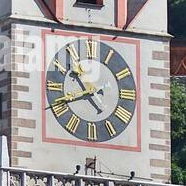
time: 10:41
